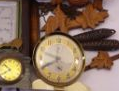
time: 5:40
